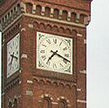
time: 7:18
